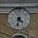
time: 4:32
